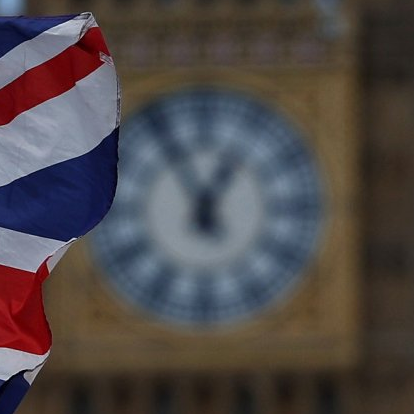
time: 12:55
